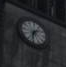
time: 1:32
